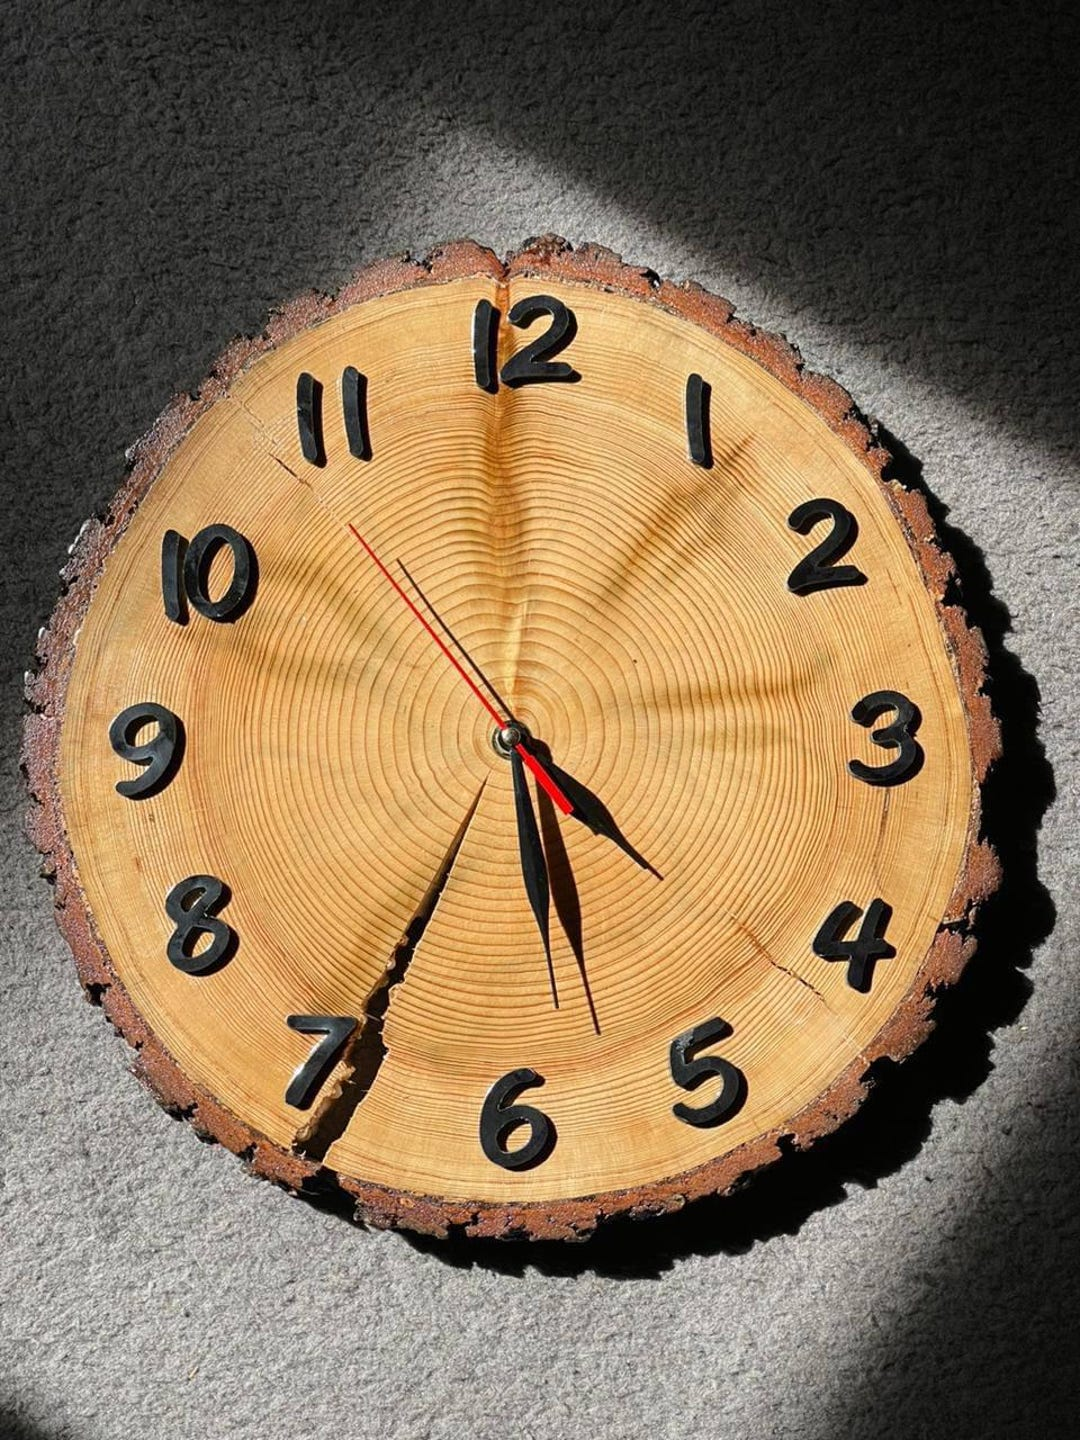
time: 5:34
